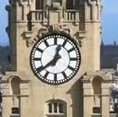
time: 12:38
